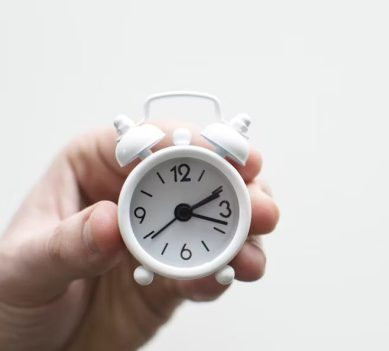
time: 2:18
